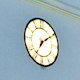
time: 7:09
